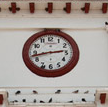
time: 2:42
